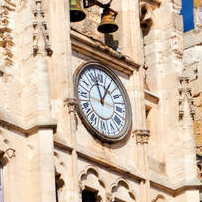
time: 12:57
